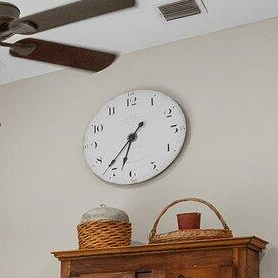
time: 6:36
